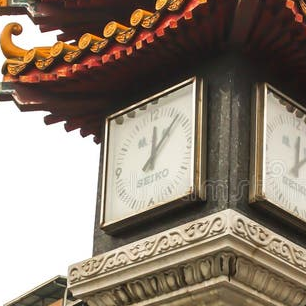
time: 12:07
